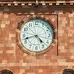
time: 4:42
